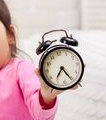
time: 7:25
